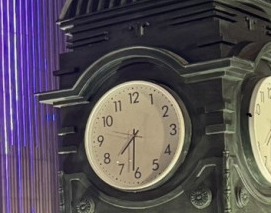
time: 7:31
